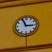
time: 2:56
